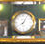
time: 8:05
